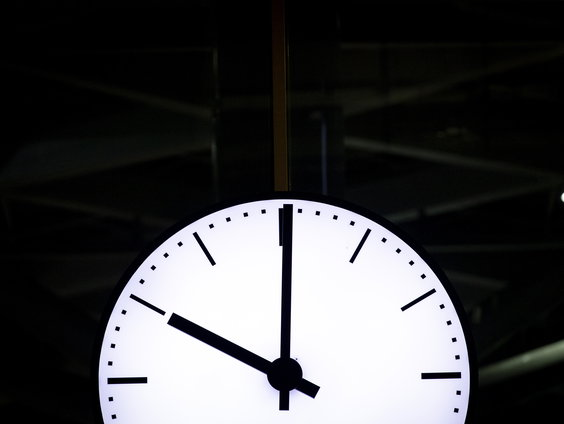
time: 10:00
